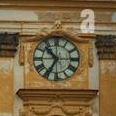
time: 10:34
